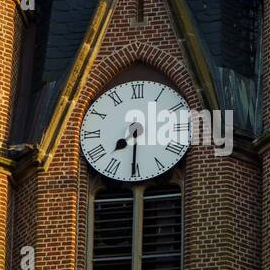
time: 7:30
